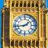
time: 1:43
